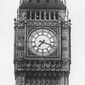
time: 7:18
